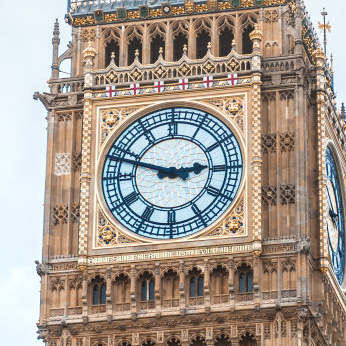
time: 2:48
